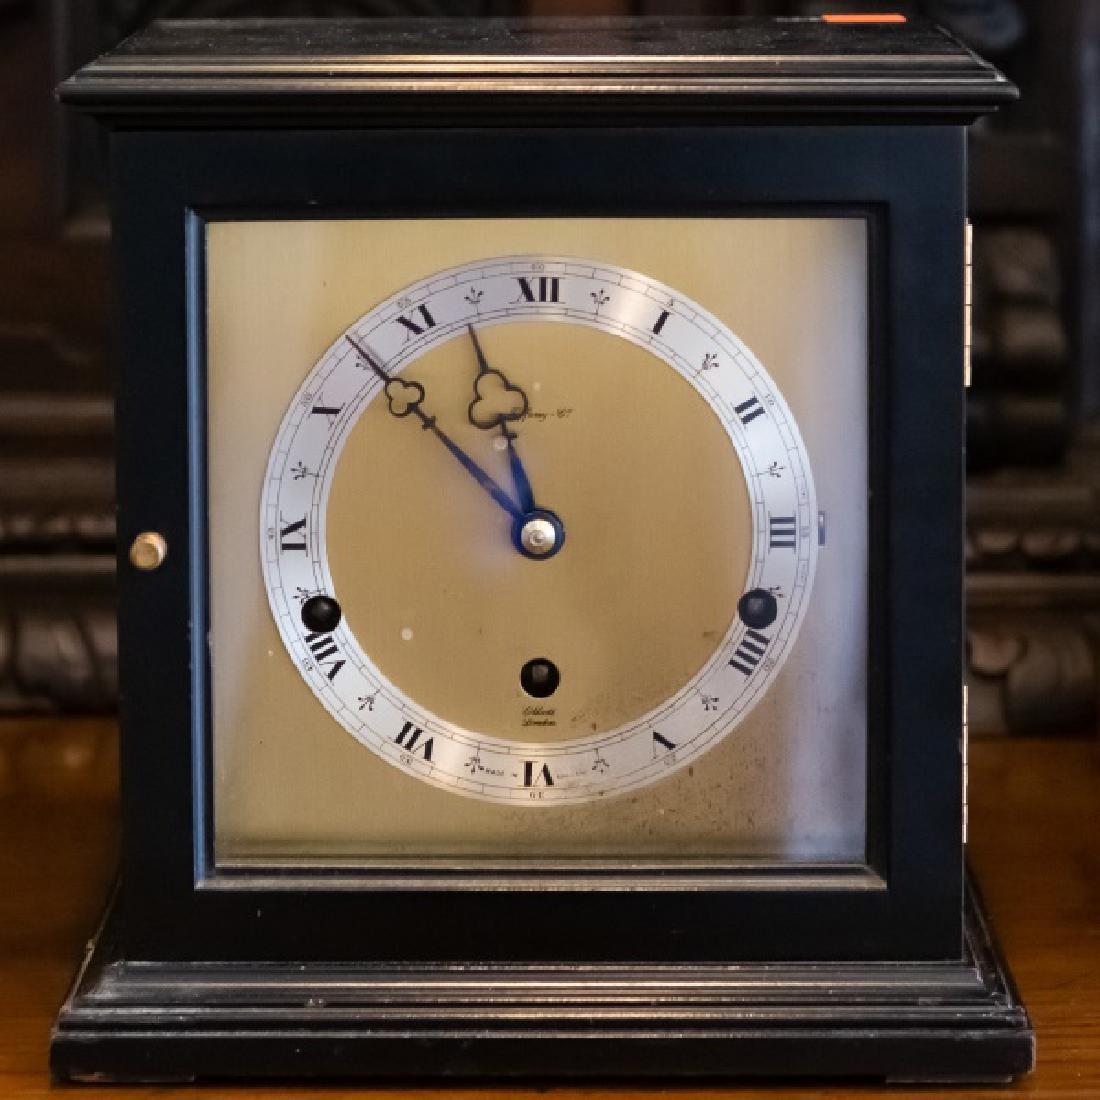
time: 11:52
